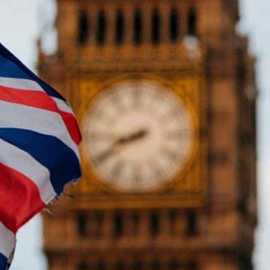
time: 8:40
